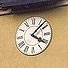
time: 4:07
